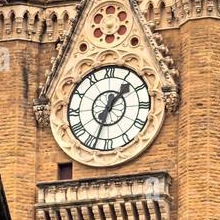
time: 1:33
